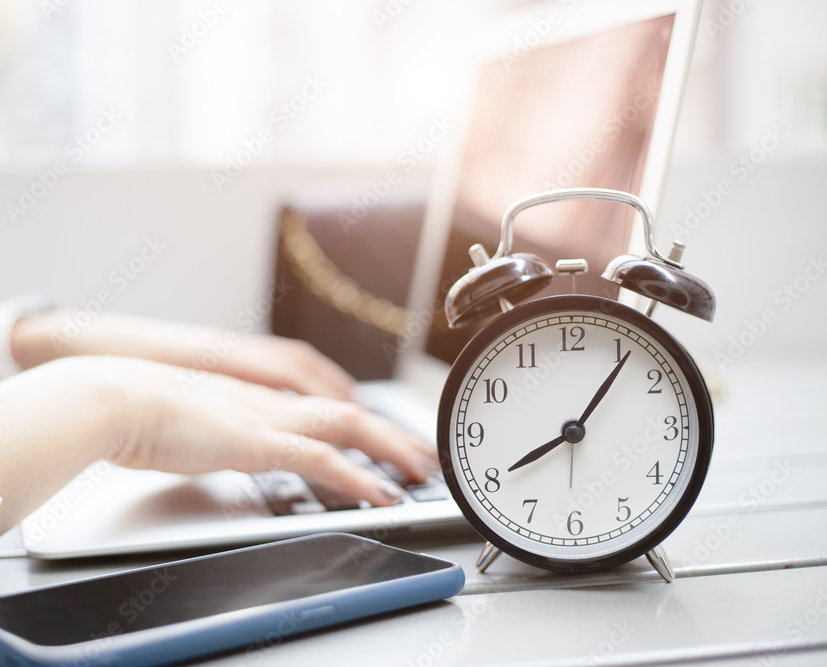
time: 8:06
